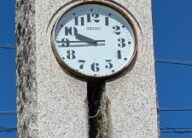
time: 9:44
